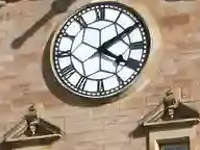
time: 4:09
